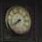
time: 7:40
